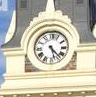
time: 4:27
